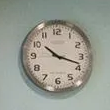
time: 10:18
